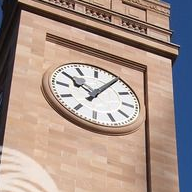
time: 10:05
